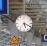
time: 5:18
